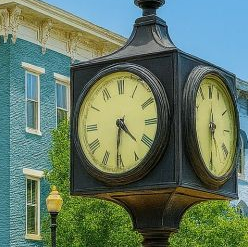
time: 4:31
